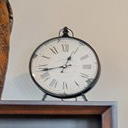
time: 12:43
